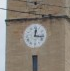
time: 12:16
